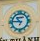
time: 10:45
